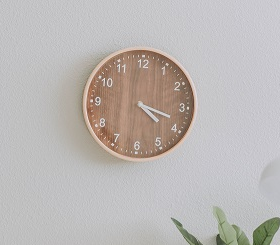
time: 4:18
